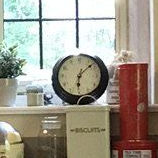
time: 6:07
